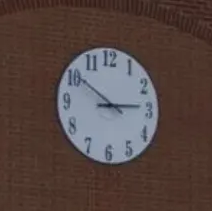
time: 2:50
